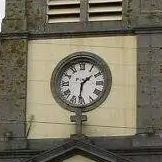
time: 1:31
